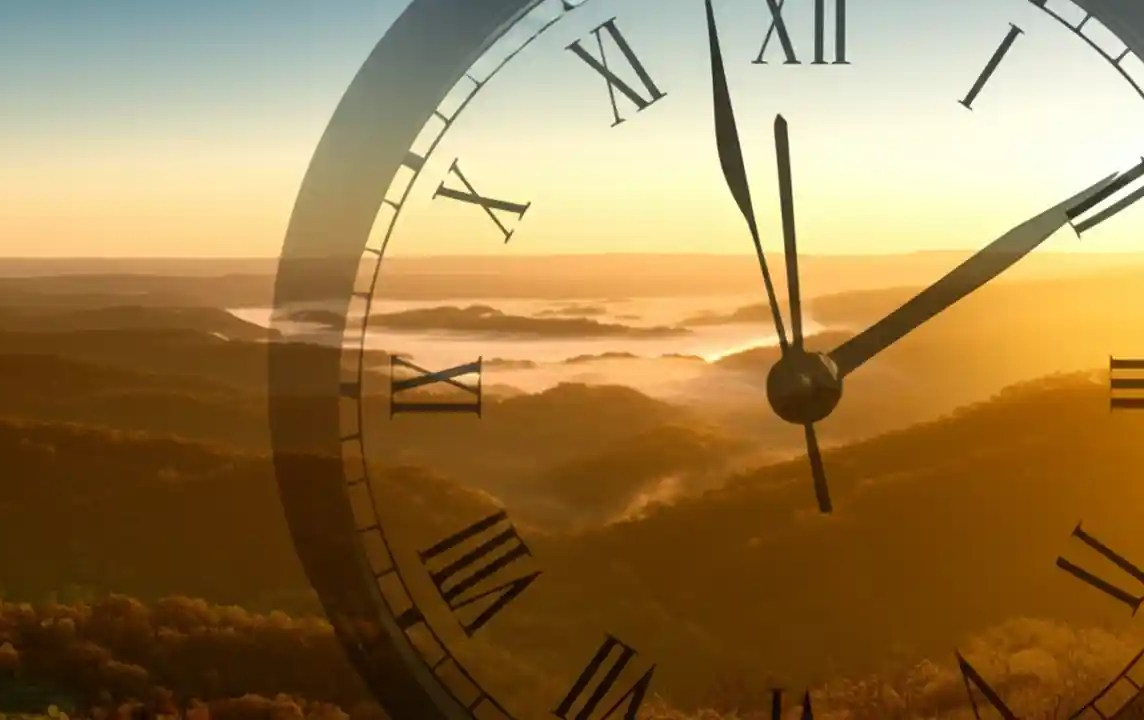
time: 1:57
